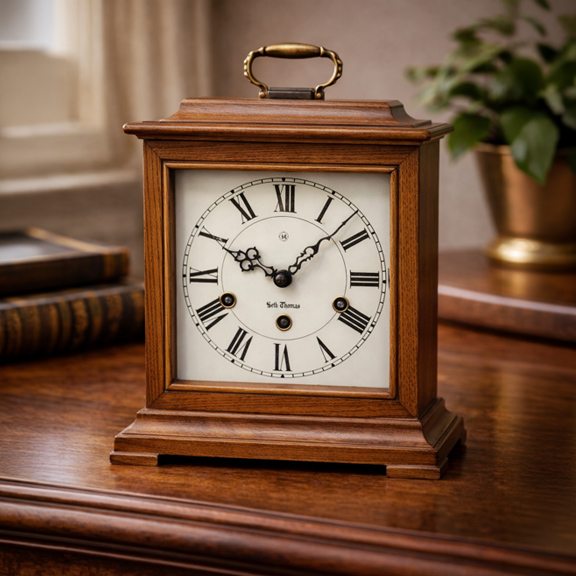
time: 10:07
